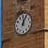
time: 12:04
